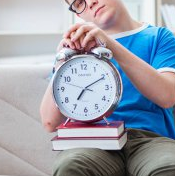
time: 7:10
